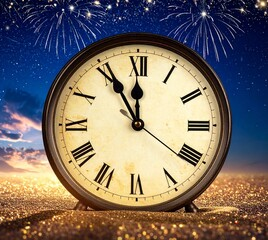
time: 11:55
